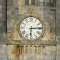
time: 6:14
